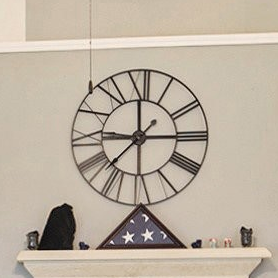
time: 9:14
